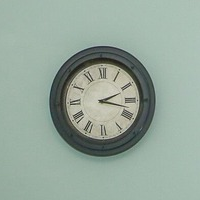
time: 2:17
